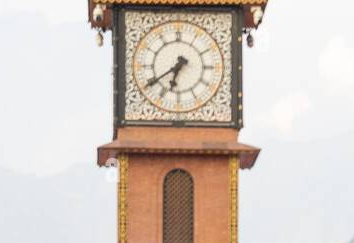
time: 6:39
